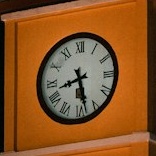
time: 8:27
